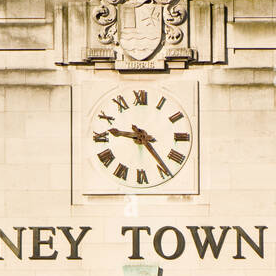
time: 9:23
